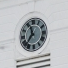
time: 11:36
